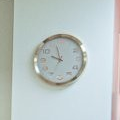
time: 9:57
